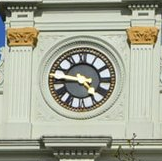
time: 4:45
